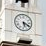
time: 5:18
